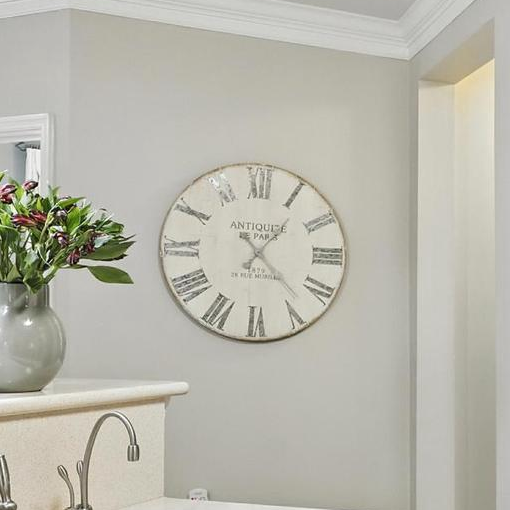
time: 1:22
